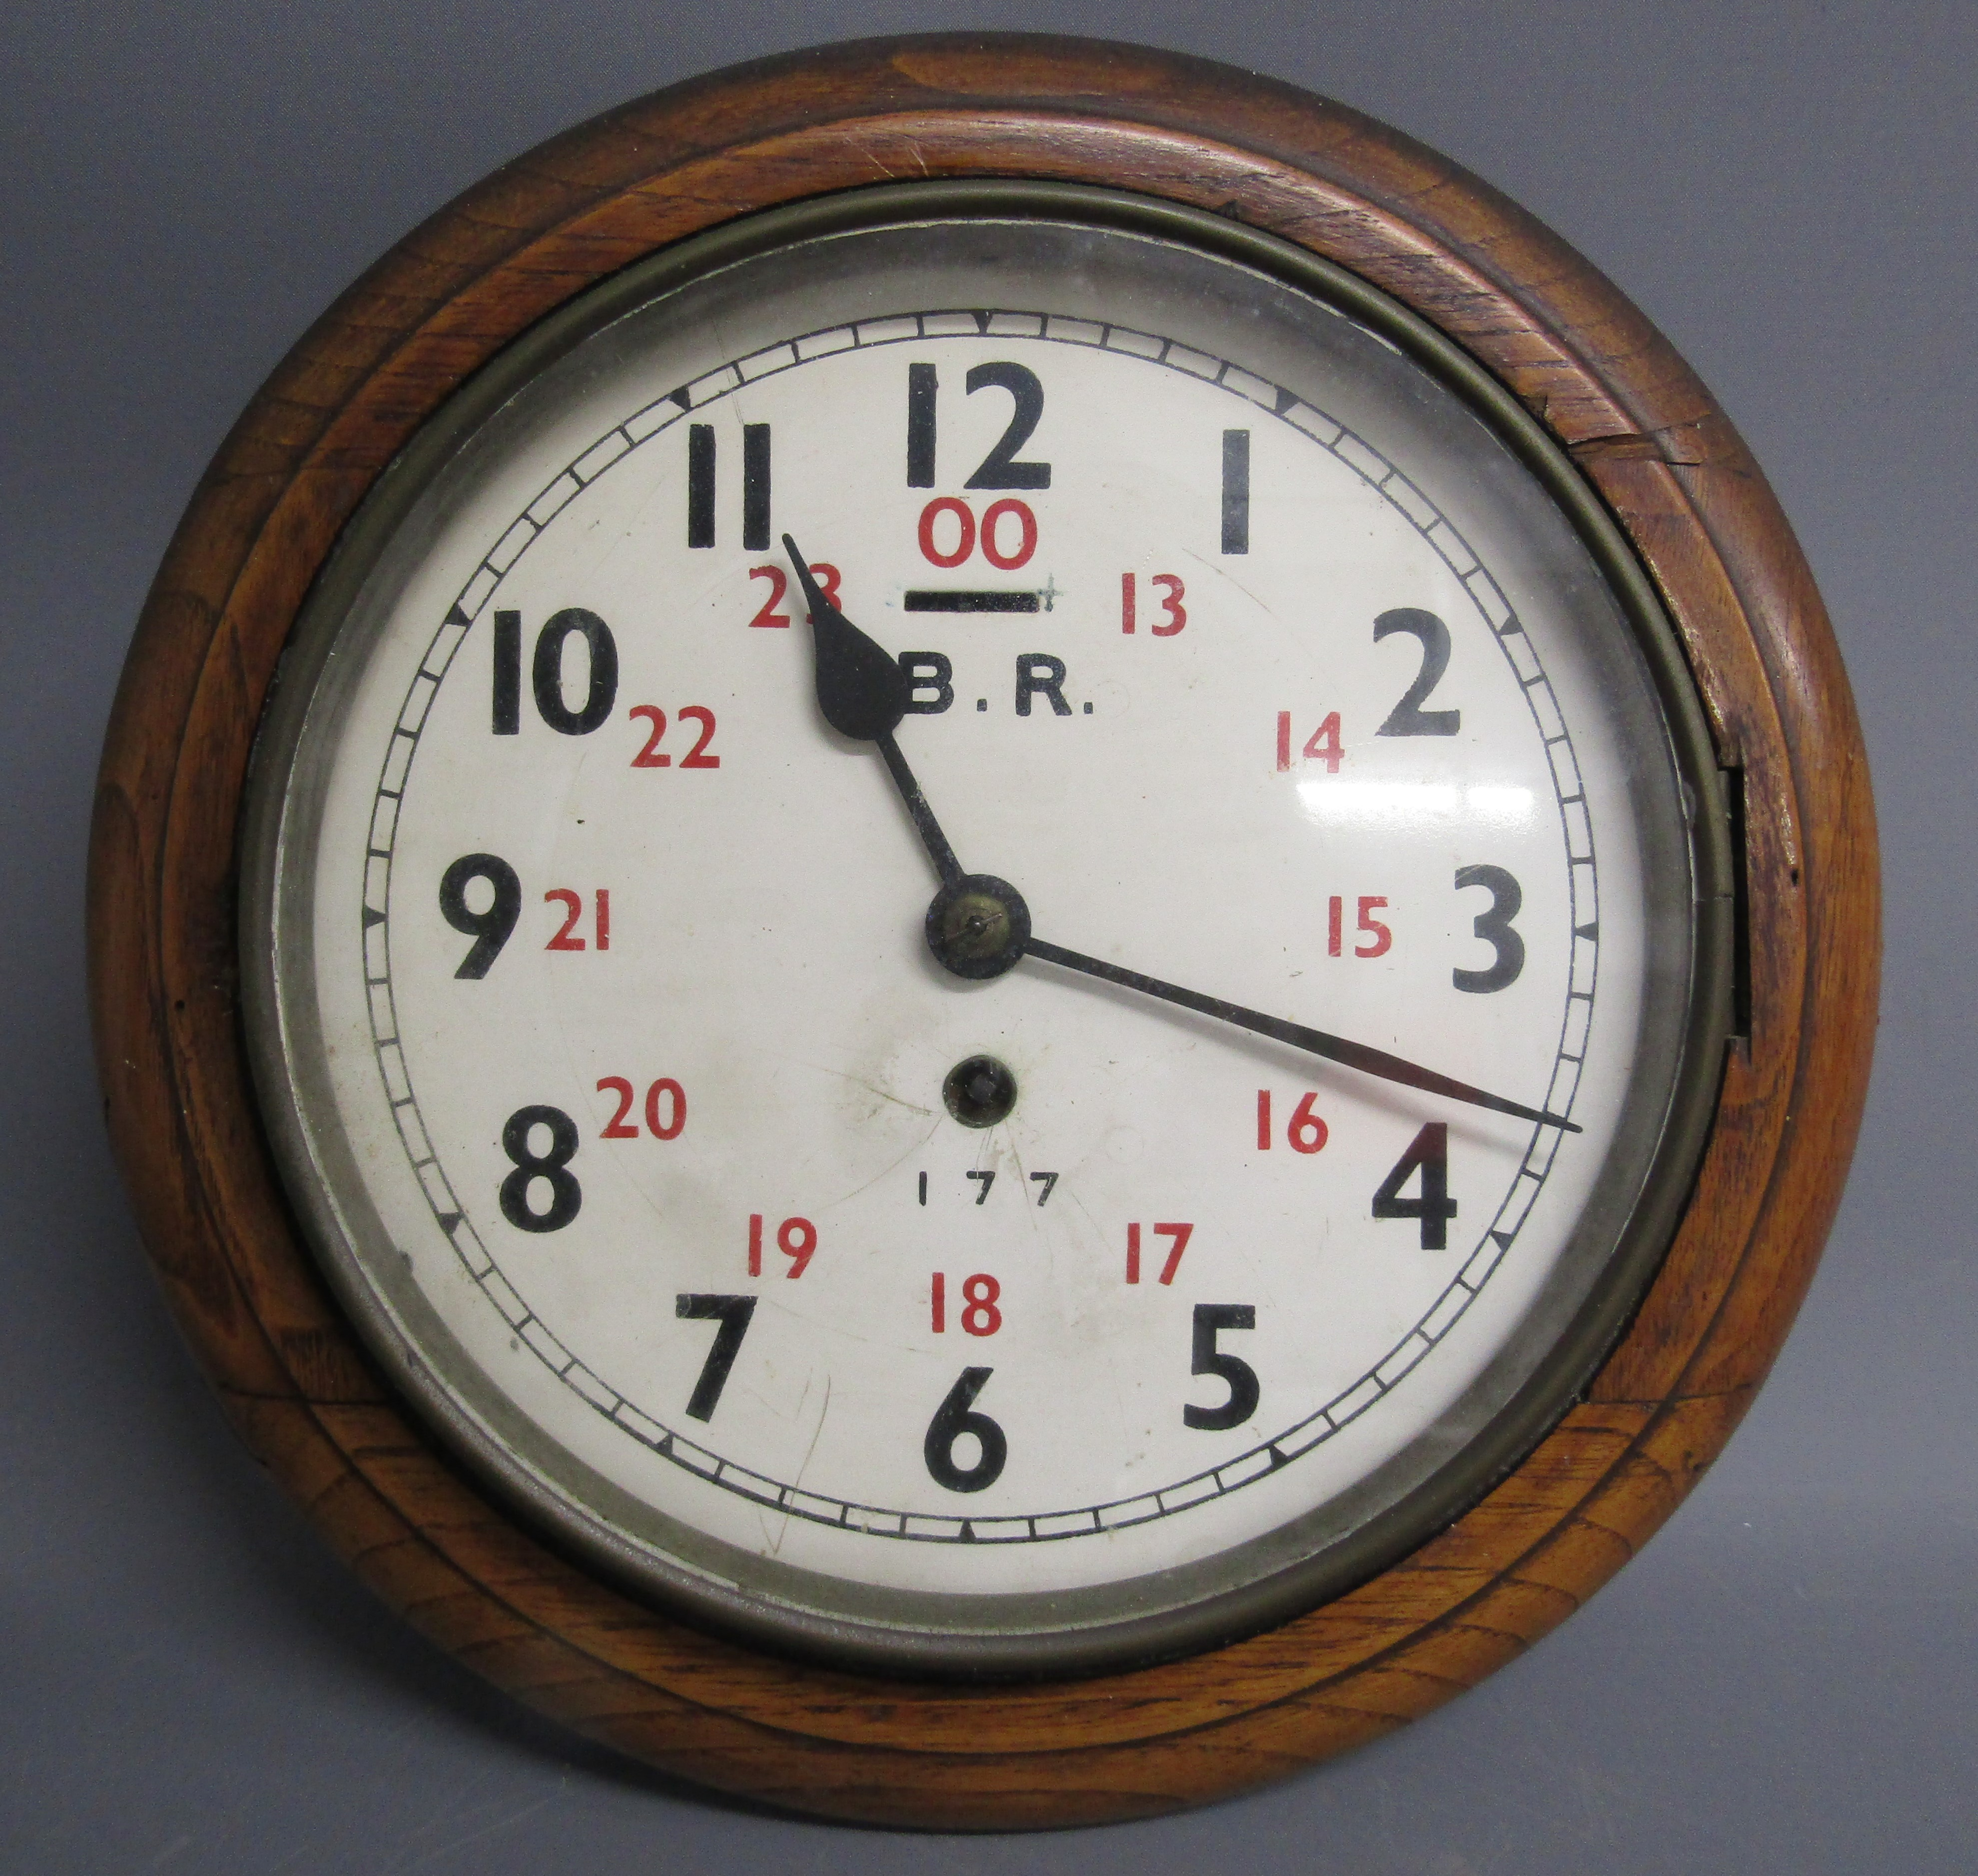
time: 11:18
